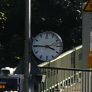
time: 3:45
